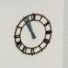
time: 10:56
